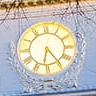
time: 6:24
